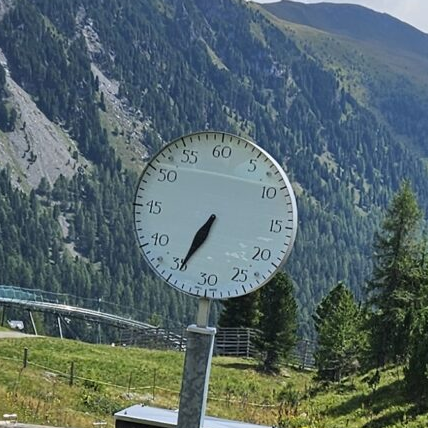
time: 6:34
